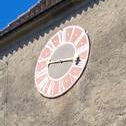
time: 9:15
